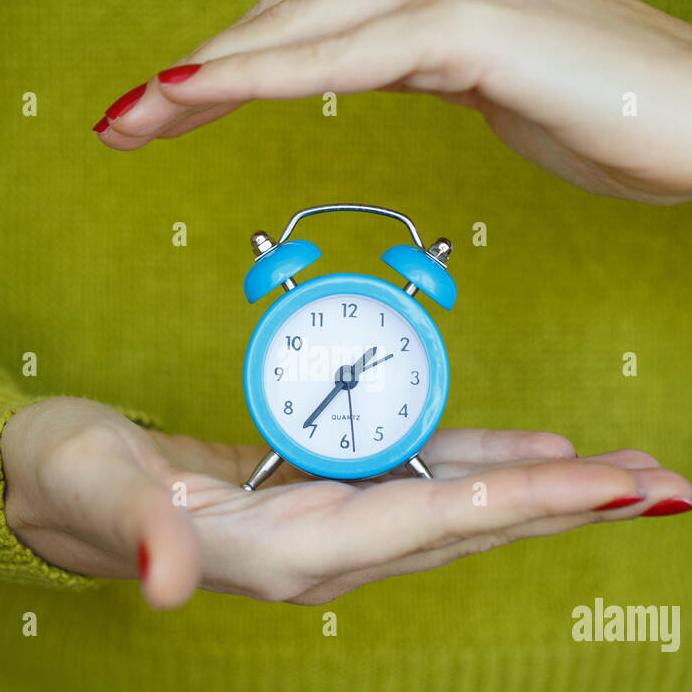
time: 1:36
